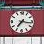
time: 7:16
